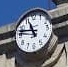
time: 10:47
